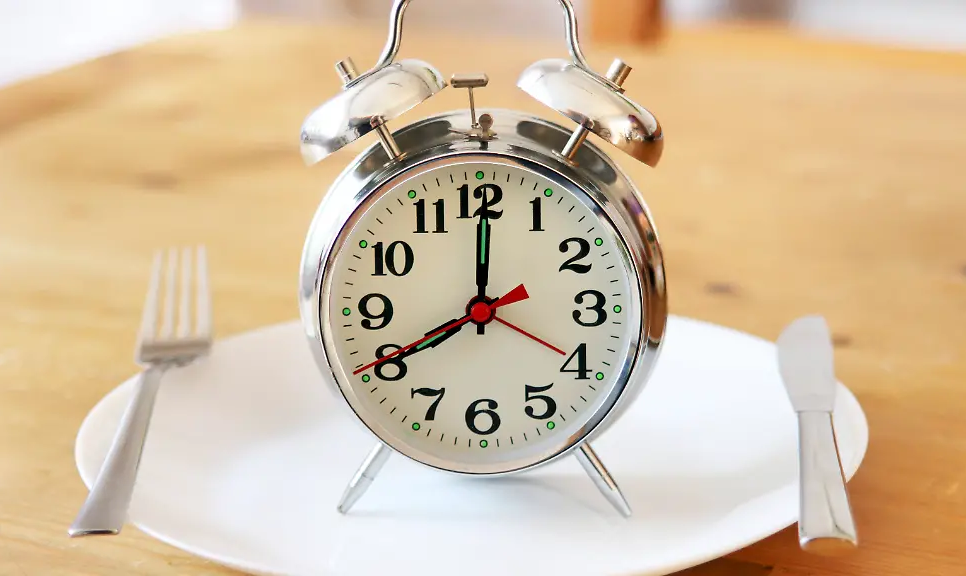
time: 8:00
